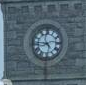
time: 4:45
